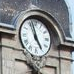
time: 4:57
